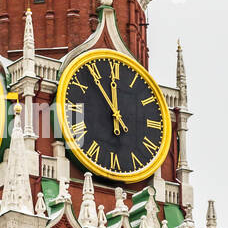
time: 11:53
